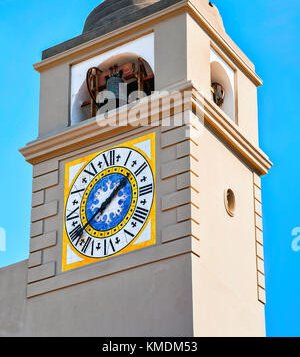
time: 1:38
